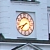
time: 7:41
